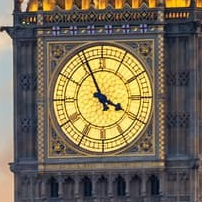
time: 3:55
